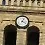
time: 4:04
